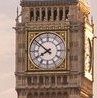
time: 7:51
